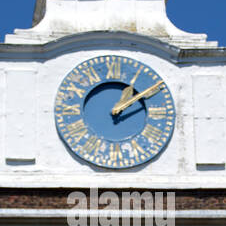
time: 1:09
